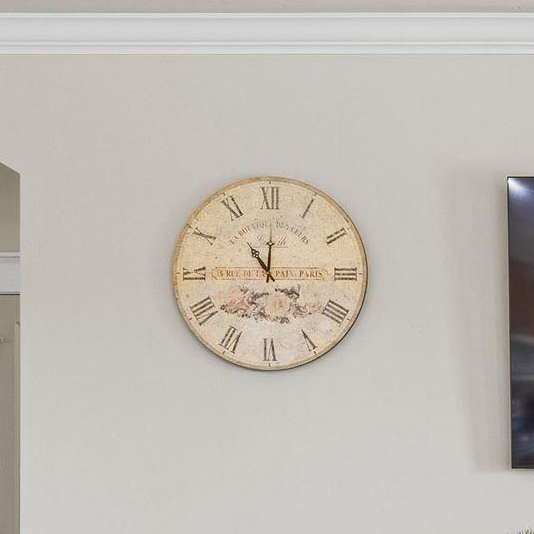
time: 11:00
